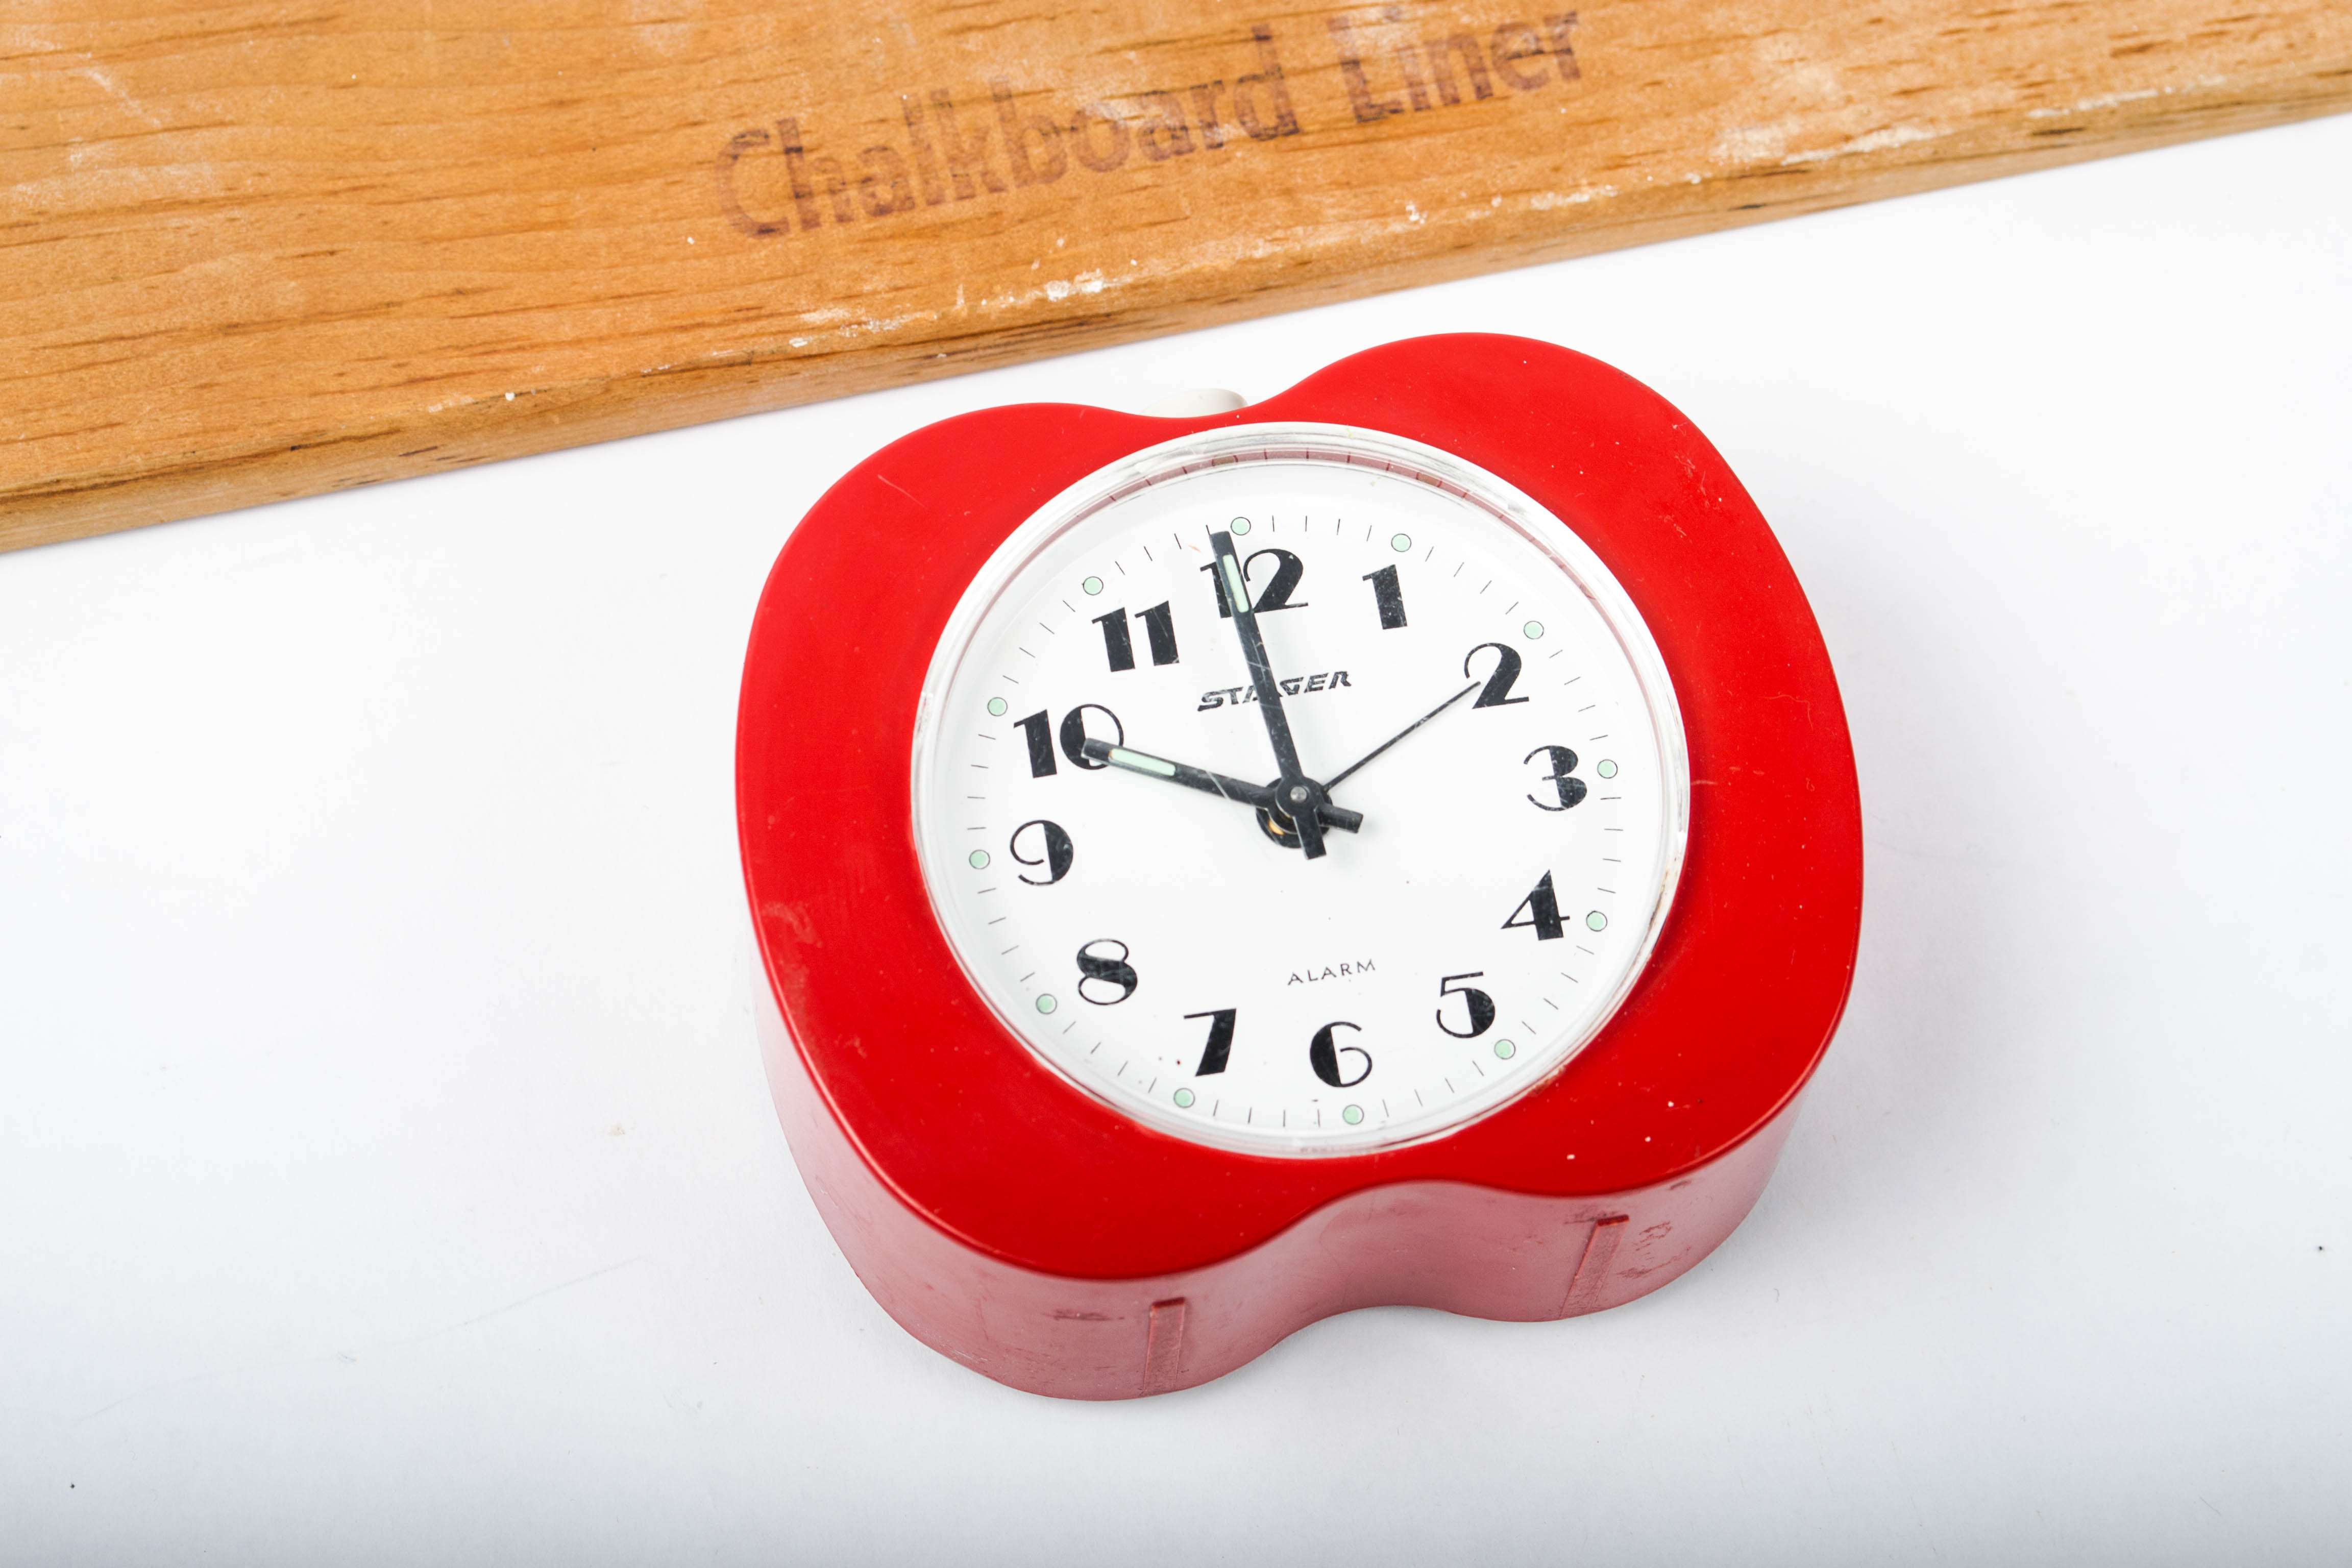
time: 9:59
